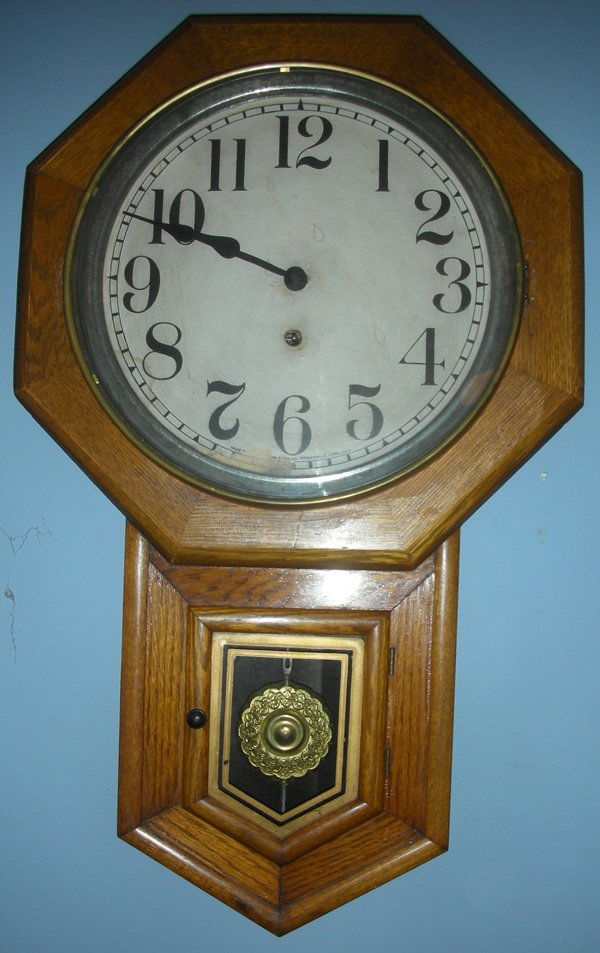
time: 9:48
